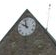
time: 9:57
